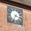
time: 3:35
